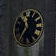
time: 11:36
